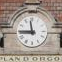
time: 11:45
